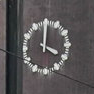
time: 4:00
